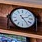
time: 2:23
